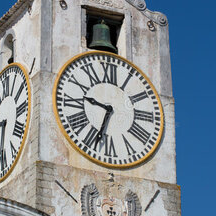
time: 9:33
